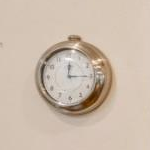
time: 12:15
